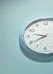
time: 9:40
